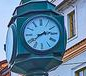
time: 2:38
